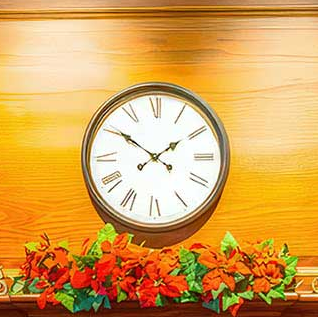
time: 1:50
